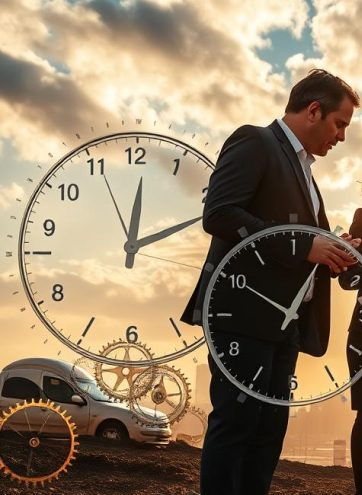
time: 12:11
